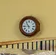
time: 10:44
